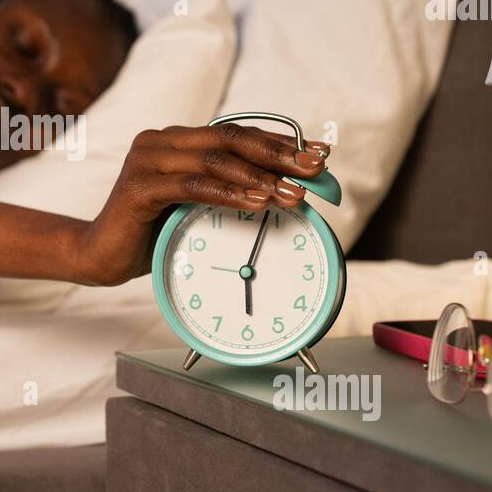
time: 6:03
